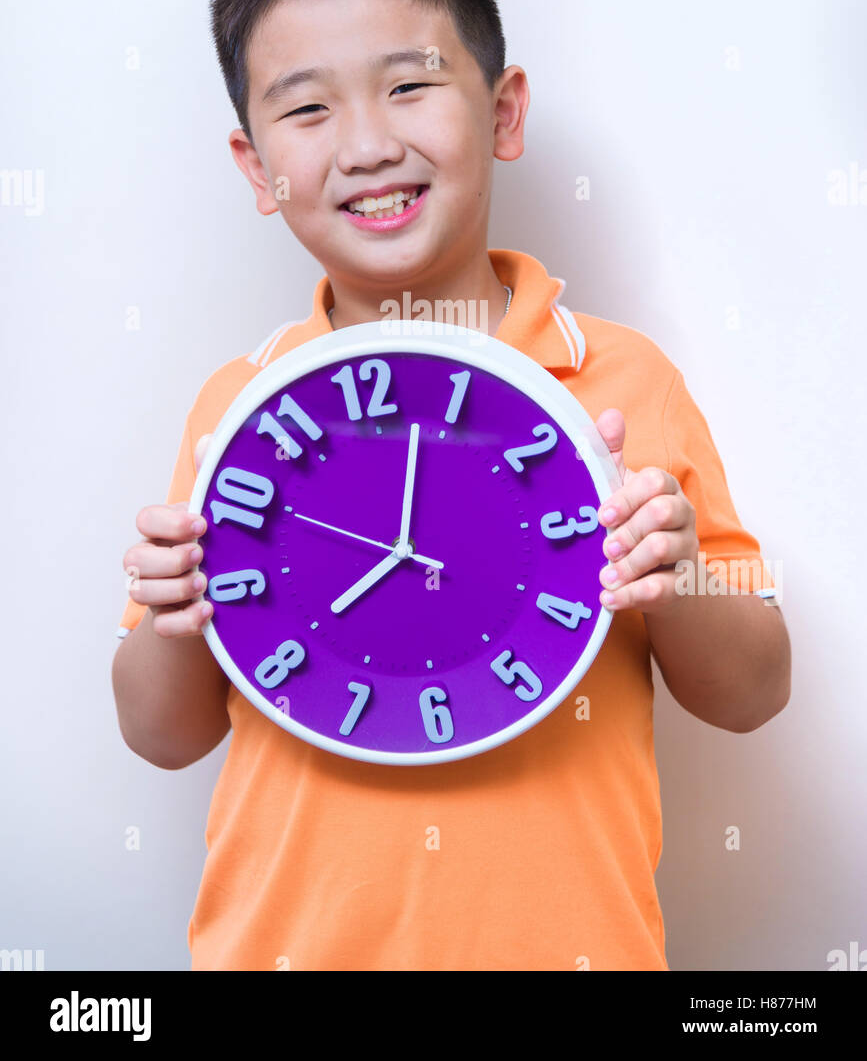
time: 8:02
